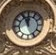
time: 11:55
